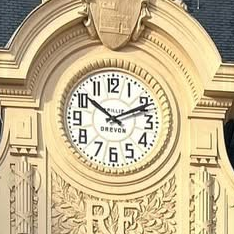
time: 10:11
